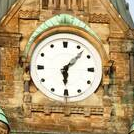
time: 6:07
